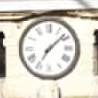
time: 7:07
